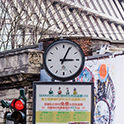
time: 3:04
